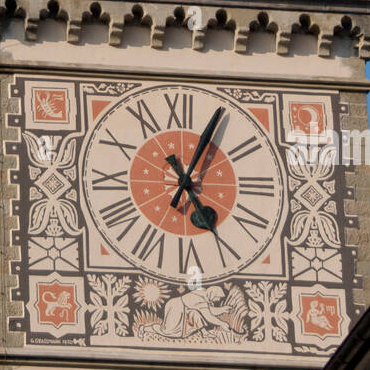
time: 5:04
